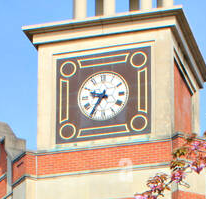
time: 9:35
